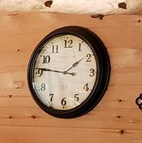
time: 1:46
